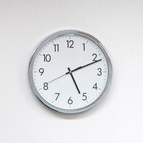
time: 5:11
